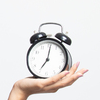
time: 7:01
